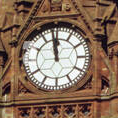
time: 11:58
